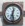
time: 12:28
